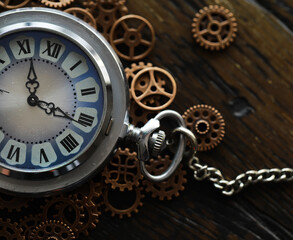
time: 11:16
